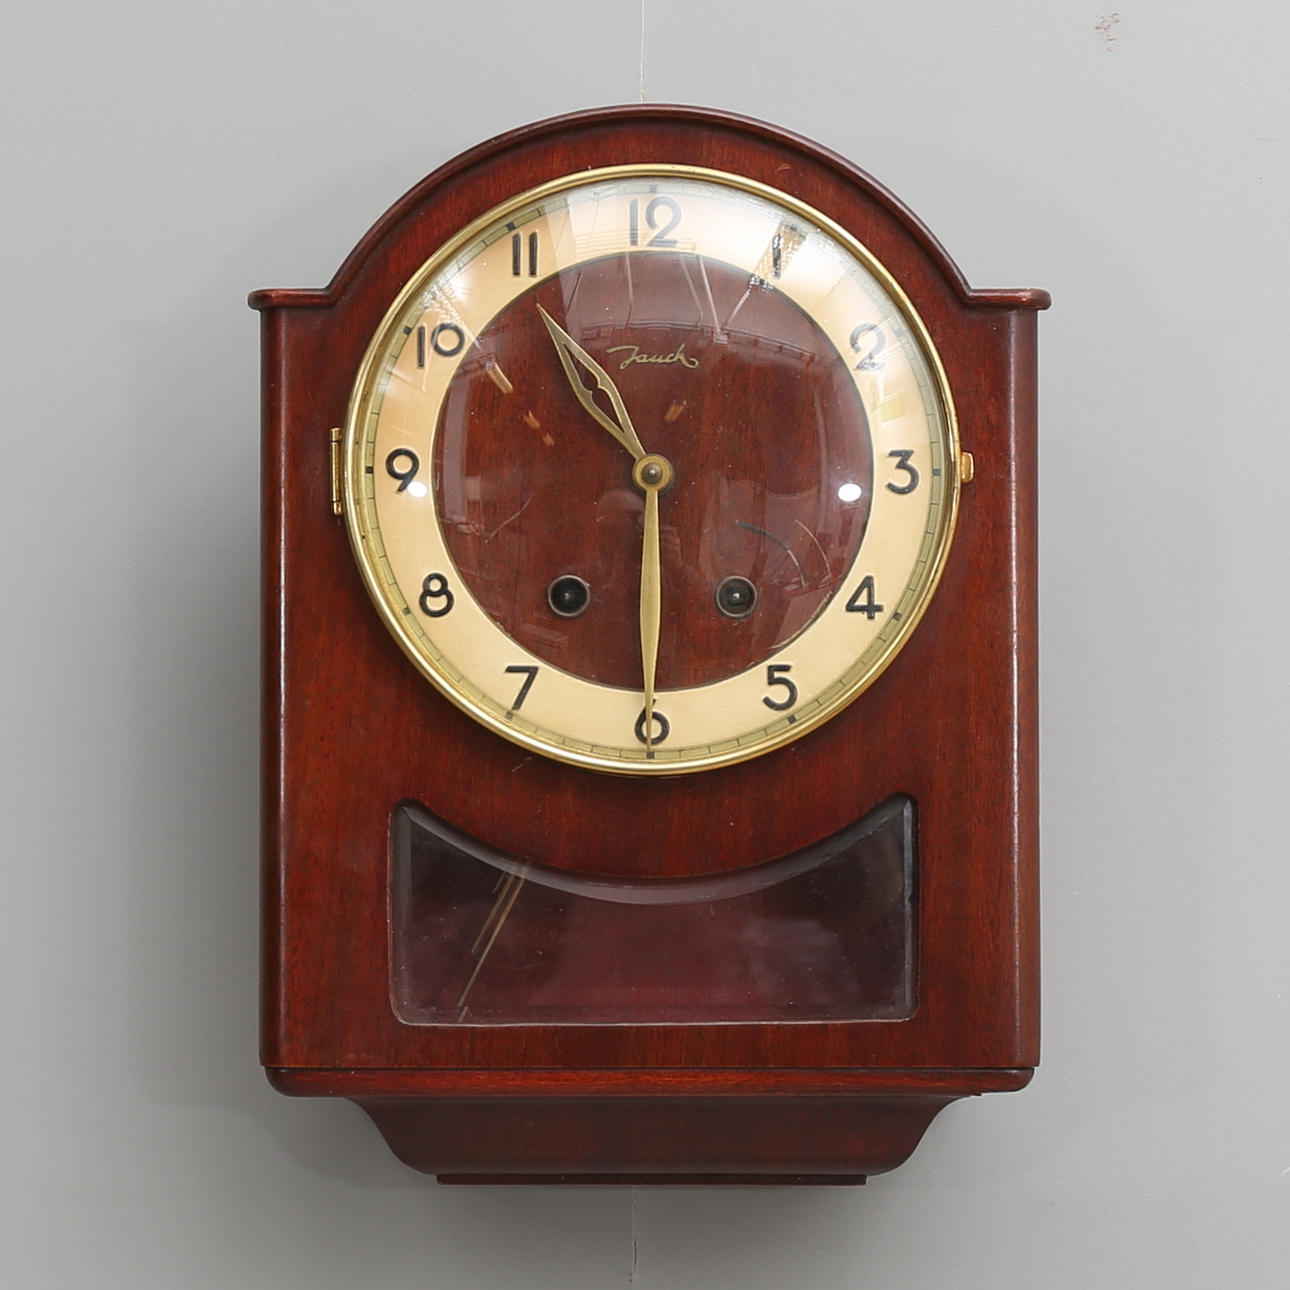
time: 10:30
